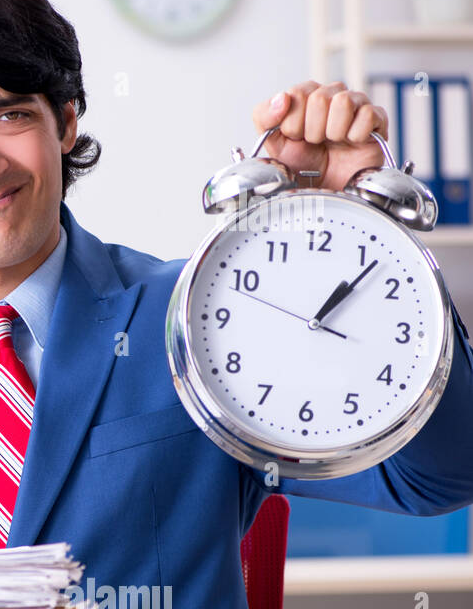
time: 1:06
